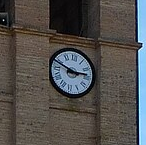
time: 2:48
